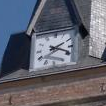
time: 2:18
